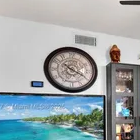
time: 10:19
